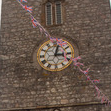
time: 3:02
